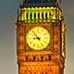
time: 8:53
